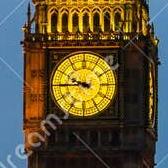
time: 9:44
